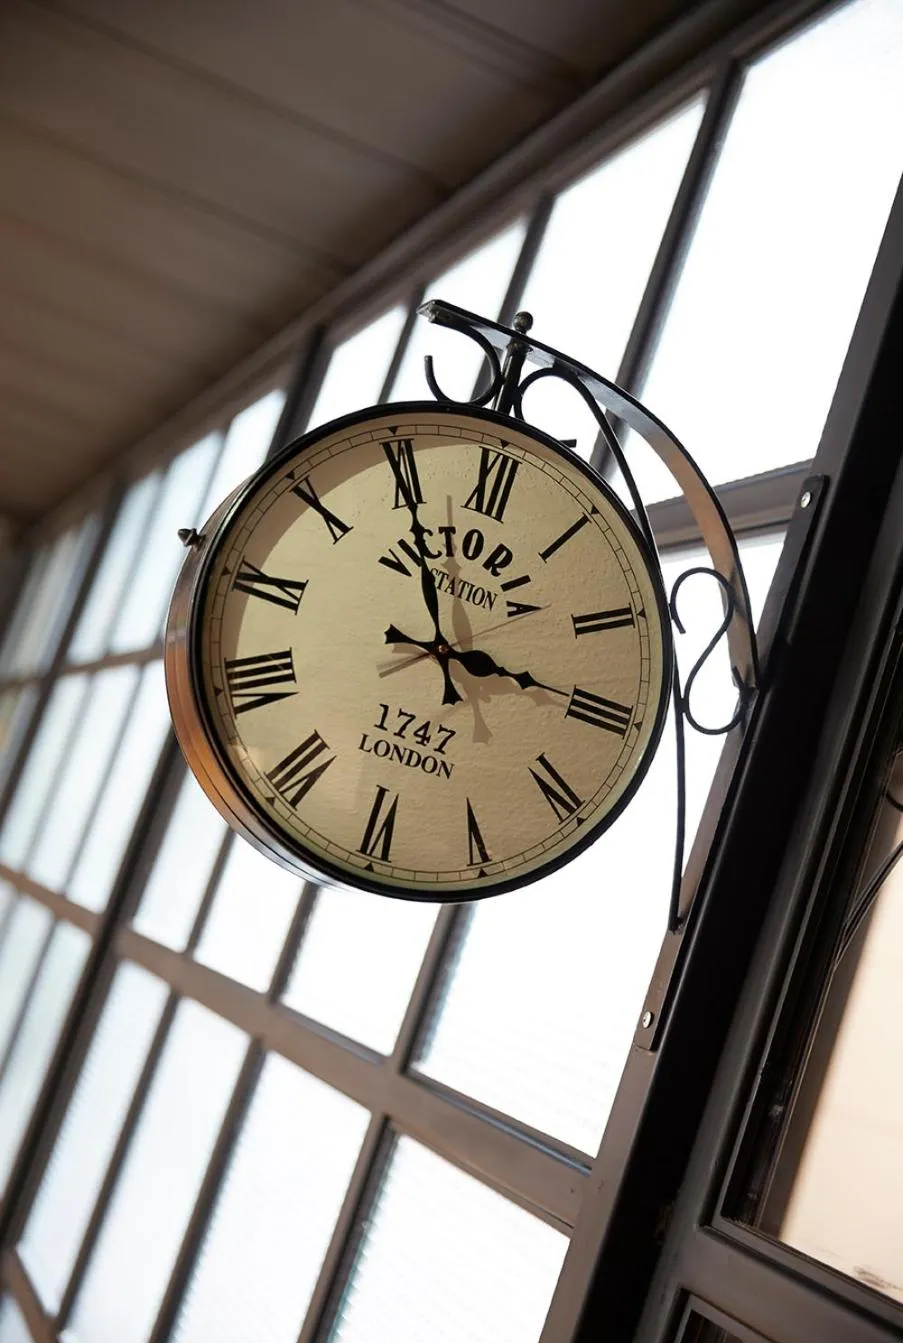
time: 2:54
